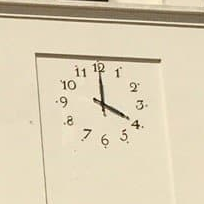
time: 4:00
